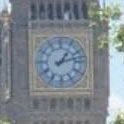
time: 1:12
